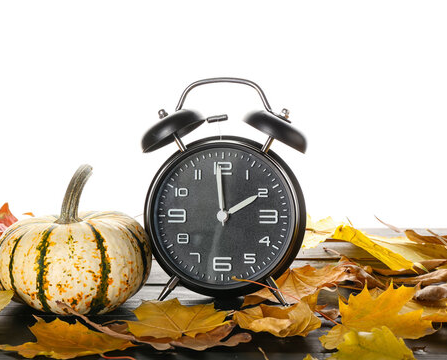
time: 1:59
